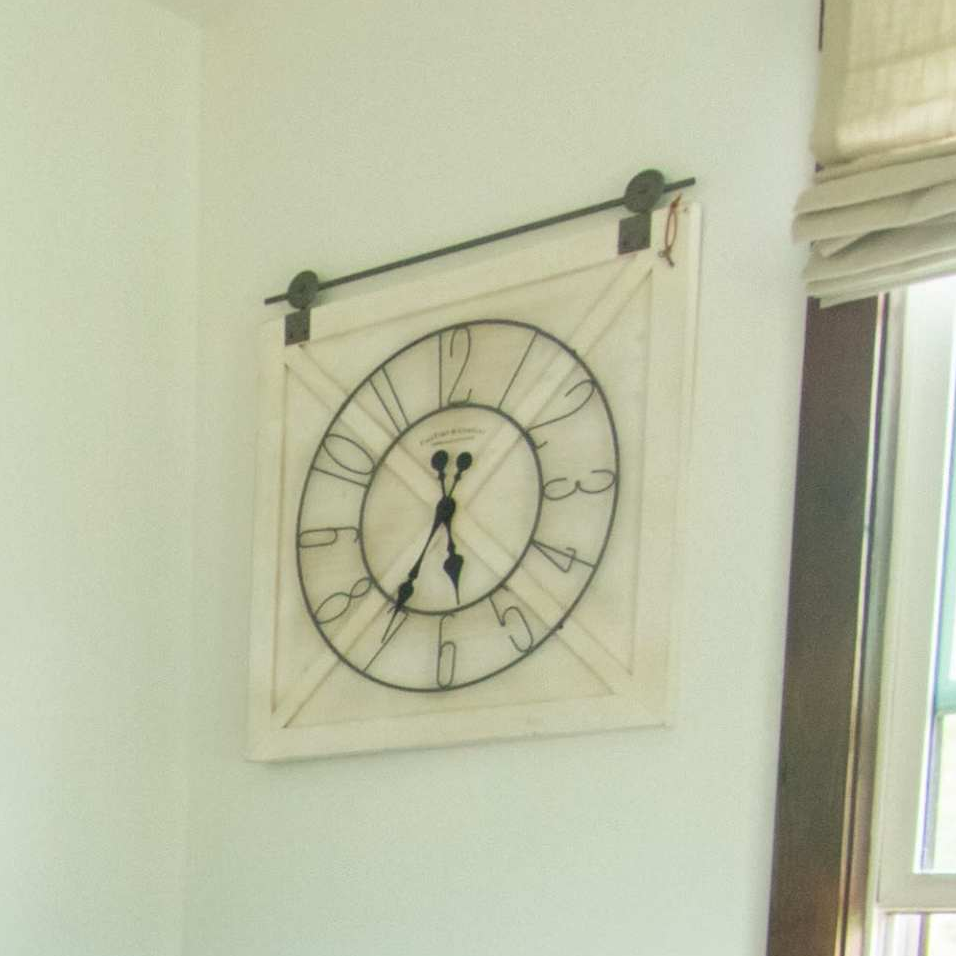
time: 5:35
